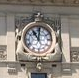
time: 11:01
